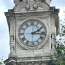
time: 2:16
